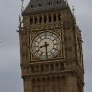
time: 8:30
